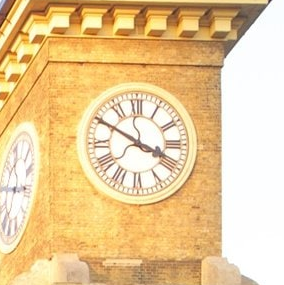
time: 3:50
